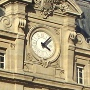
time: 4:08
